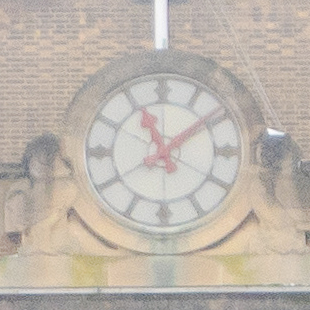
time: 11:09
